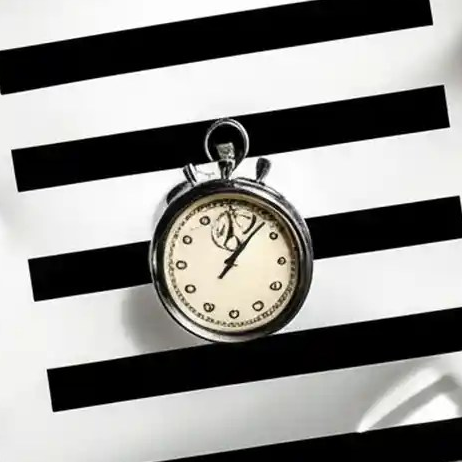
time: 12:06
